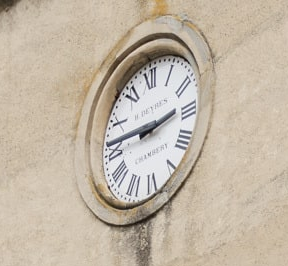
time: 2:46
